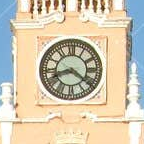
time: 8:21
